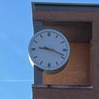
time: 9:18
